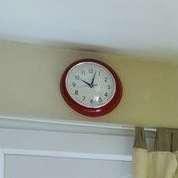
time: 10:02
